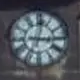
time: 3:02
